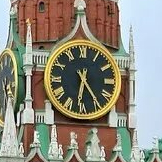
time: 6:24
